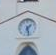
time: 1:28
